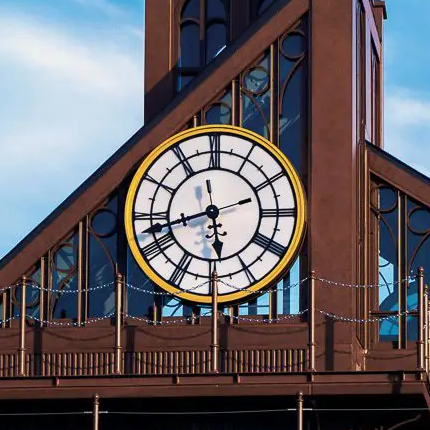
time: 5:42
